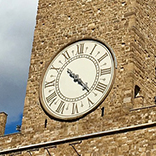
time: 10:22
